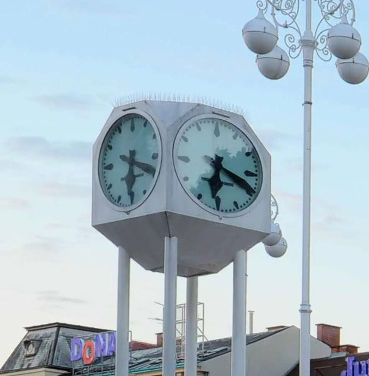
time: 6:18
